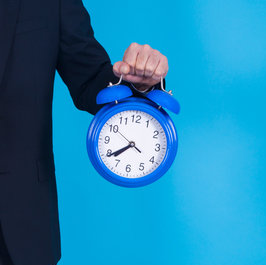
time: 7:39
